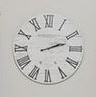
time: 2:12
